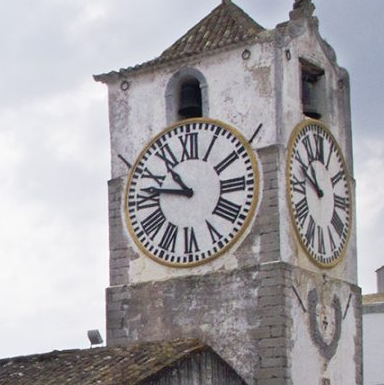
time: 10:46
